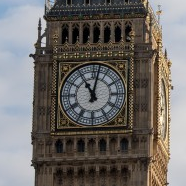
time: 11:02
